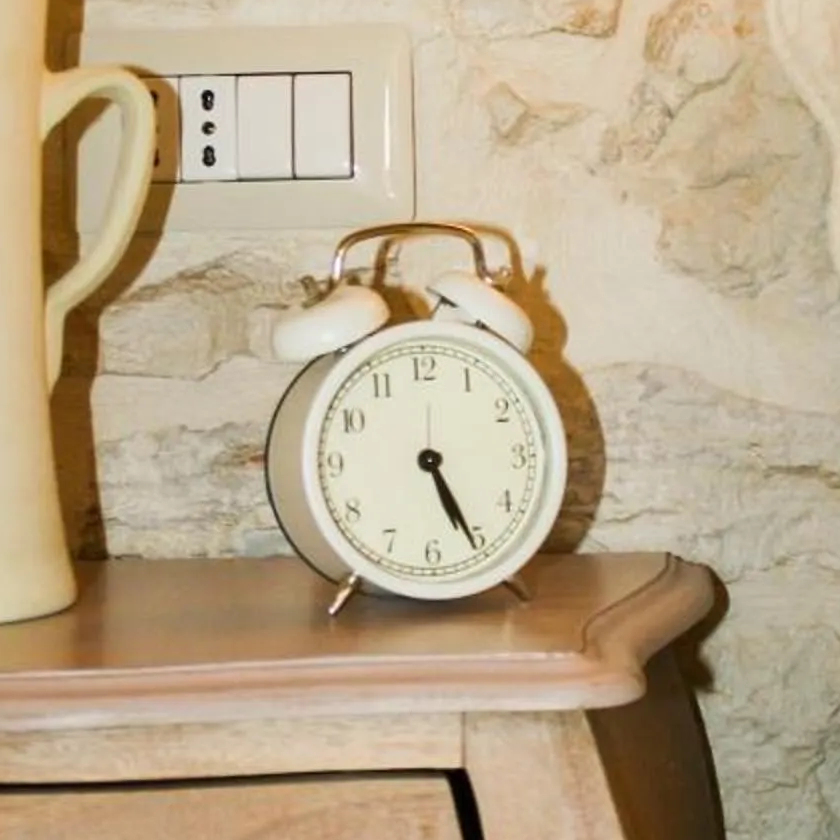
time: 5:25
